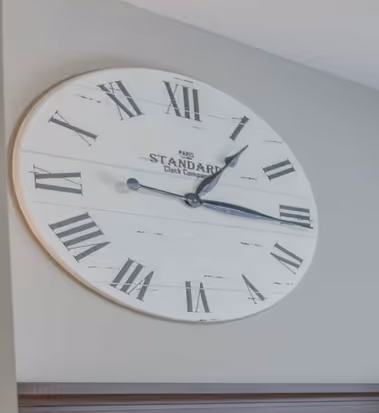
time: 1:16
